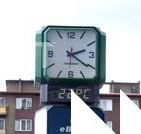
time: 2:20
